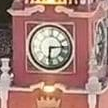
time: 6:14
